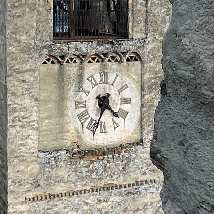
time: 4:33
